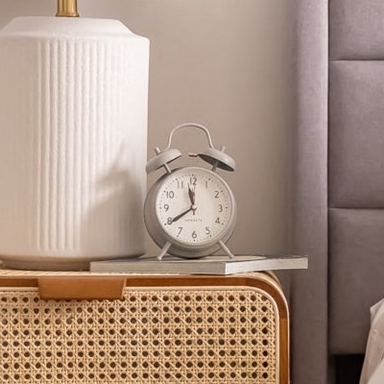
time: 11:39
